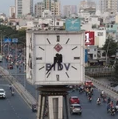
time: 5:36
